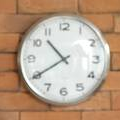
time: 10:39
